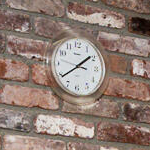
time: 1:39
